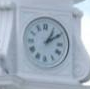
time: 1:09
